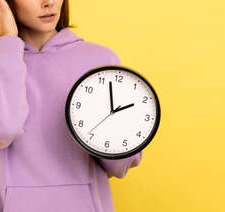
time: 1:57
